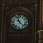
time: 11:22
